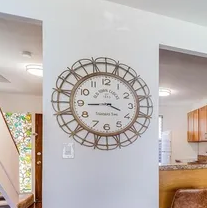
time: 3:44
